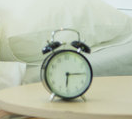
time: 6:14
